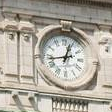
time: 12:43
